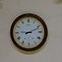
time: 9:11
